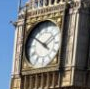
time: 1:50
